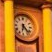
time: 6:23
